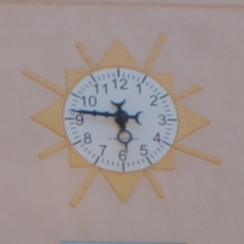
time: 5:46
